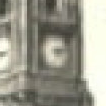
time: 3:13
